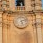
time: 5:12
